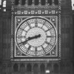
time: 8:41
